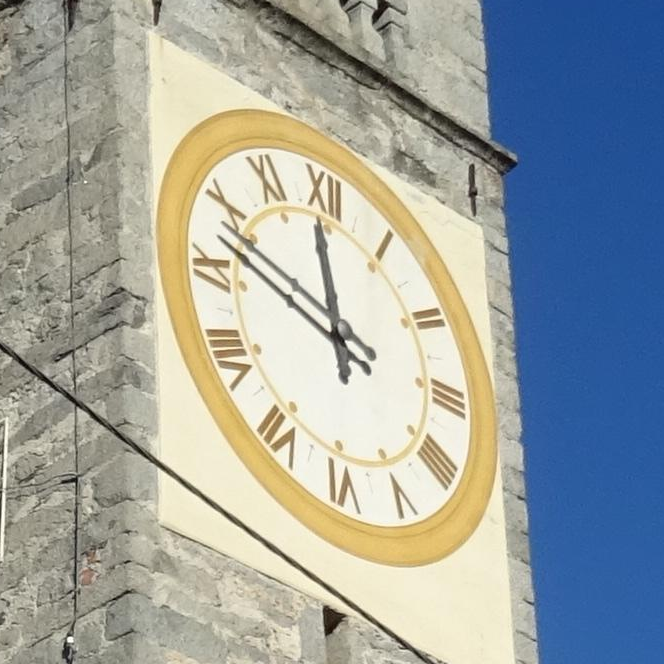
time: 11:46
